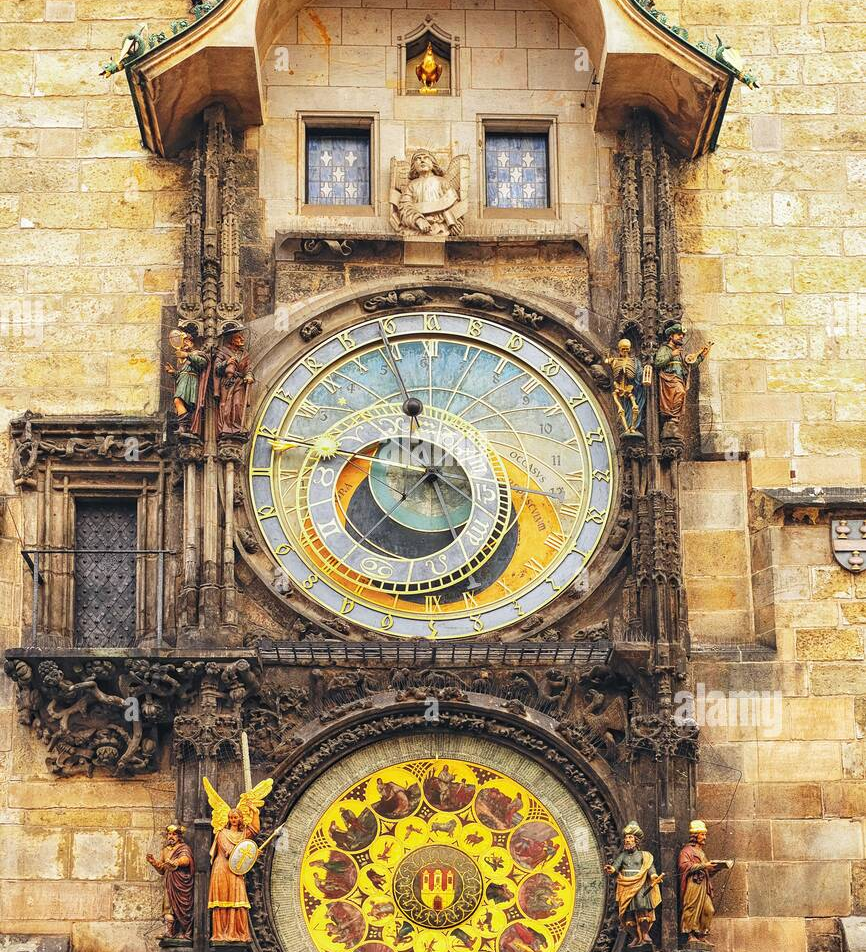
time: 8:56
